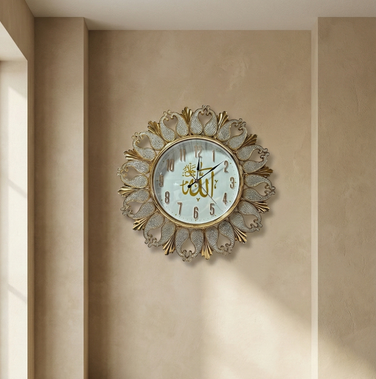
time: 2:01
